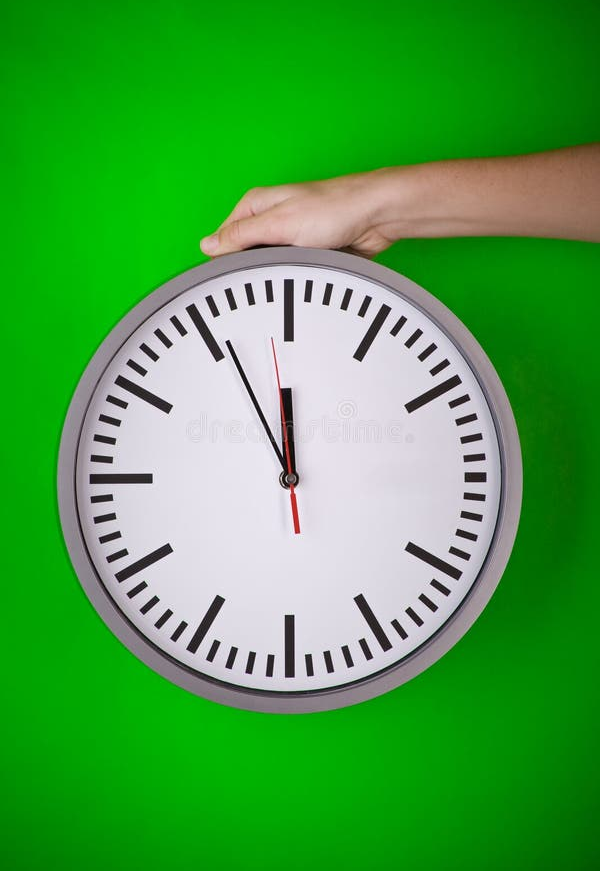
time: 11:55
